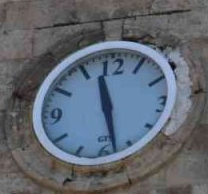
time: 11:27
